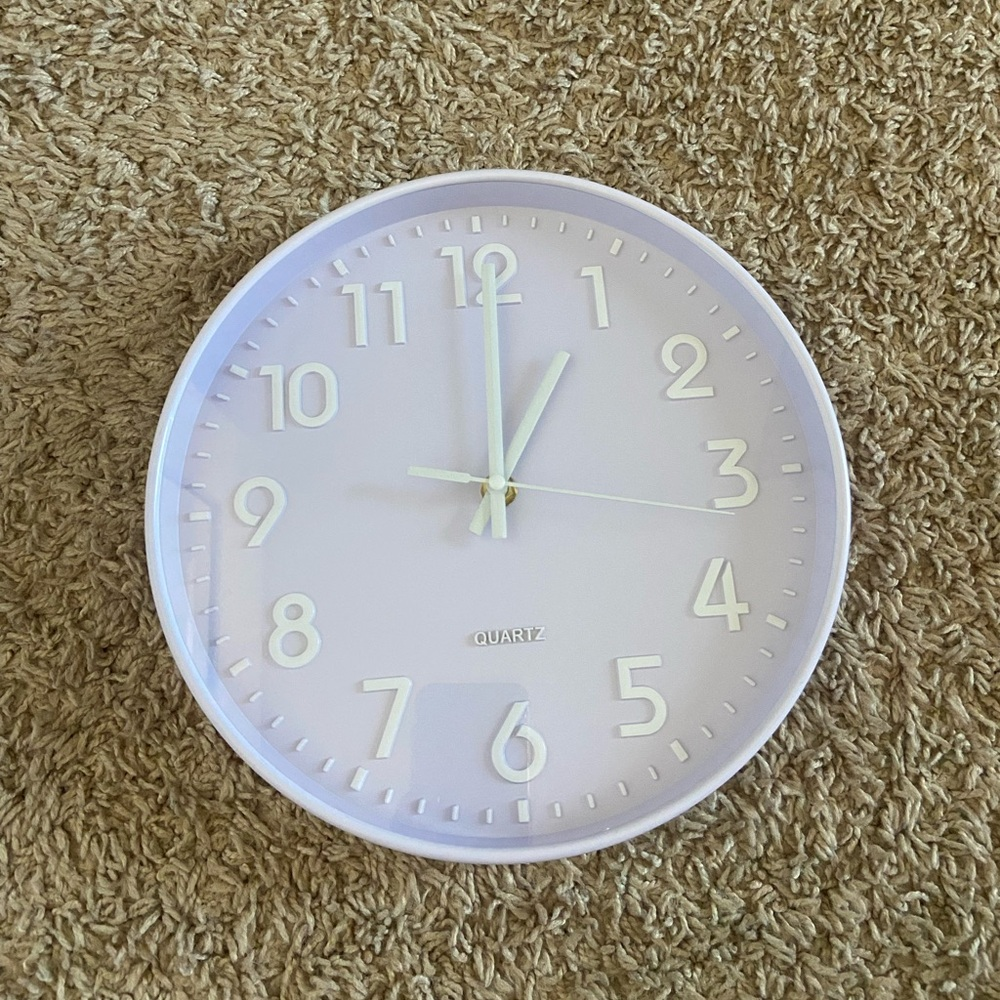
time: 1:00
